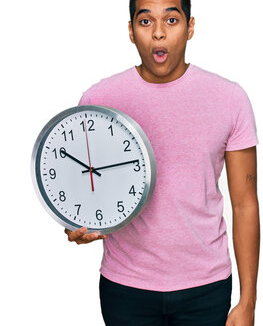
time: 10:13
